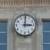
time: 3:00
